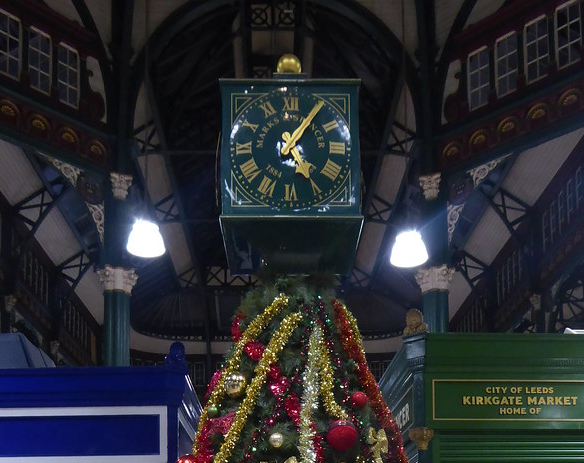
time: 5:05
